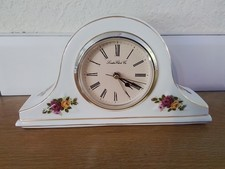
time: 4:19
